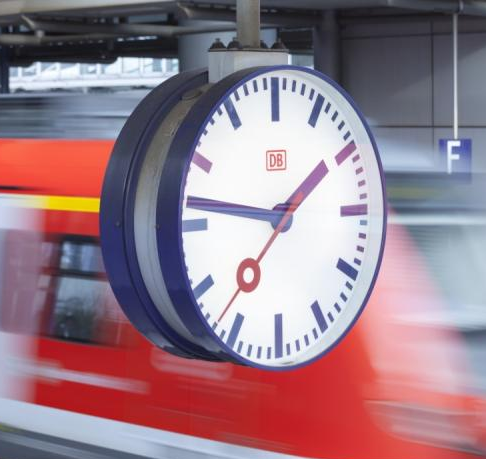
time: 1:46
